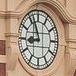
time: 8:56
